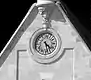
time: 4:27
